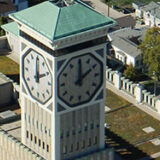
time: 12:09
